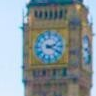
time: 2:19
